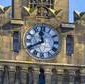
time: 11:40
